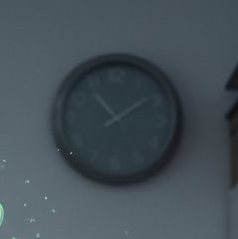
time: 1:53
